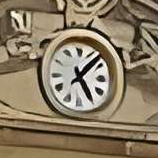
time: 5:07
